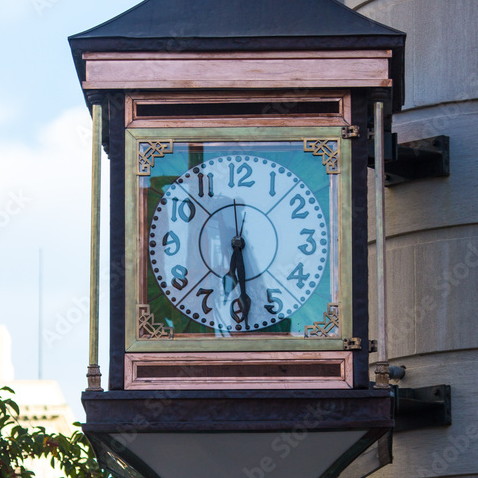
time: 6:29
